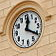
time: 12:20
